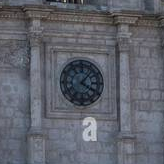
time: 4:06
